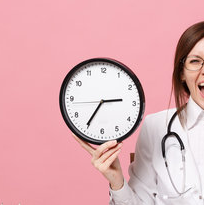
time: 2:35
